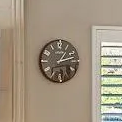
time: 1:12
